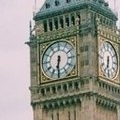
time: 6:31
